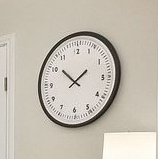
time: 1:51
